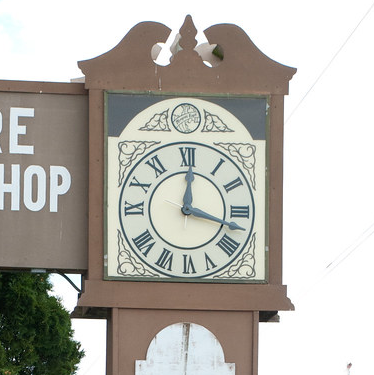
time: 12:17
